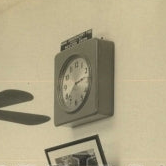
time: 8:12
